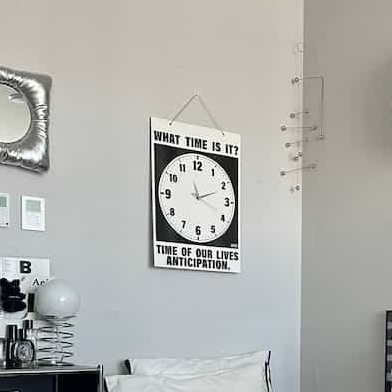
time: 2:18
